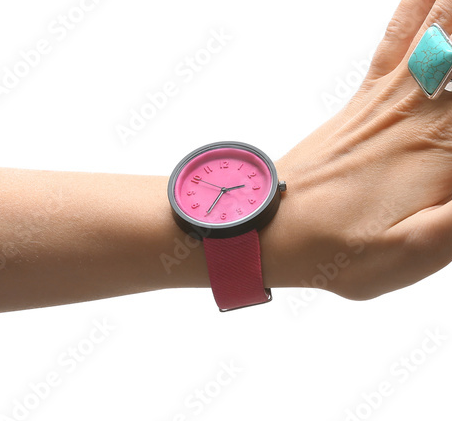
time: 2:35
